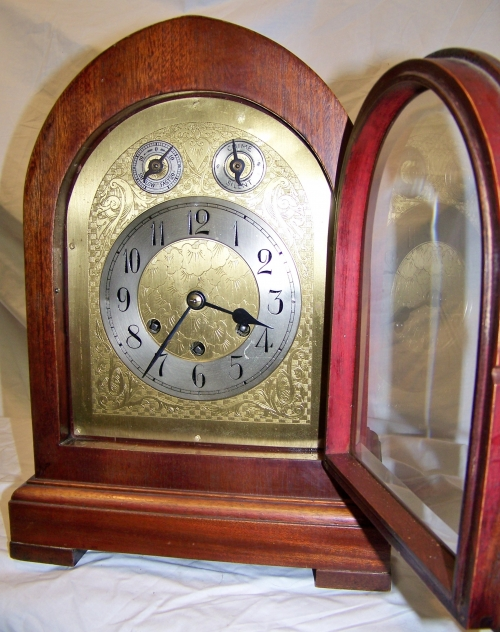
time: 3:36
